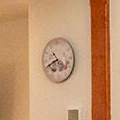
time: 10:41
